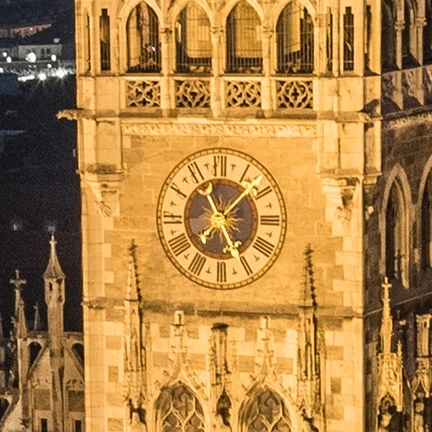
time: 5:07
